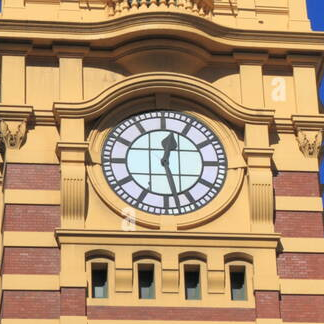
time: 12:27
